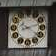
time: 8:12
